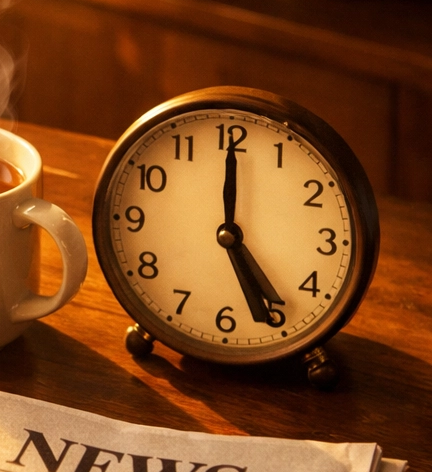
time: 5:00
